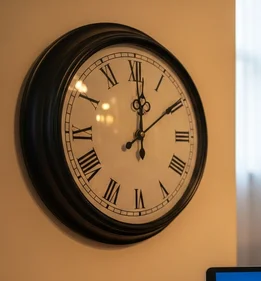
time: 12:09
